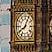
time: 8:04
